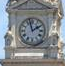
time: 1:57
